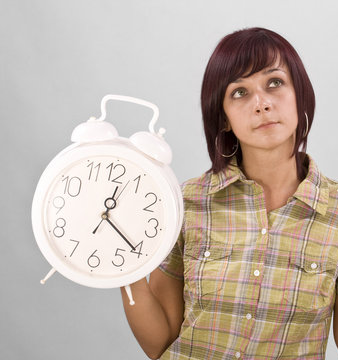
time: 12:20
